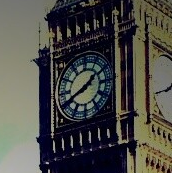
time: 1:41
